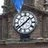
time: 1:38
